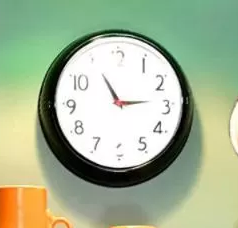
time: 2:54
